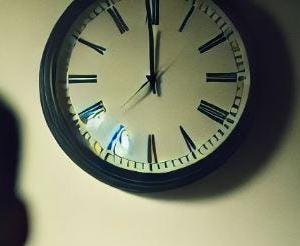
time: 11:59
